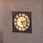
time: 5:12
